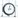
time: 3:02
